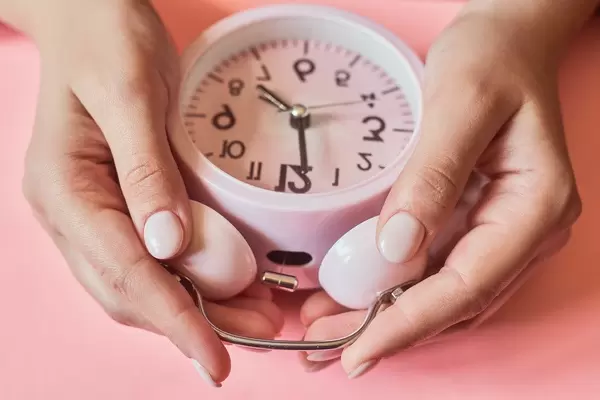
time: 10:28
